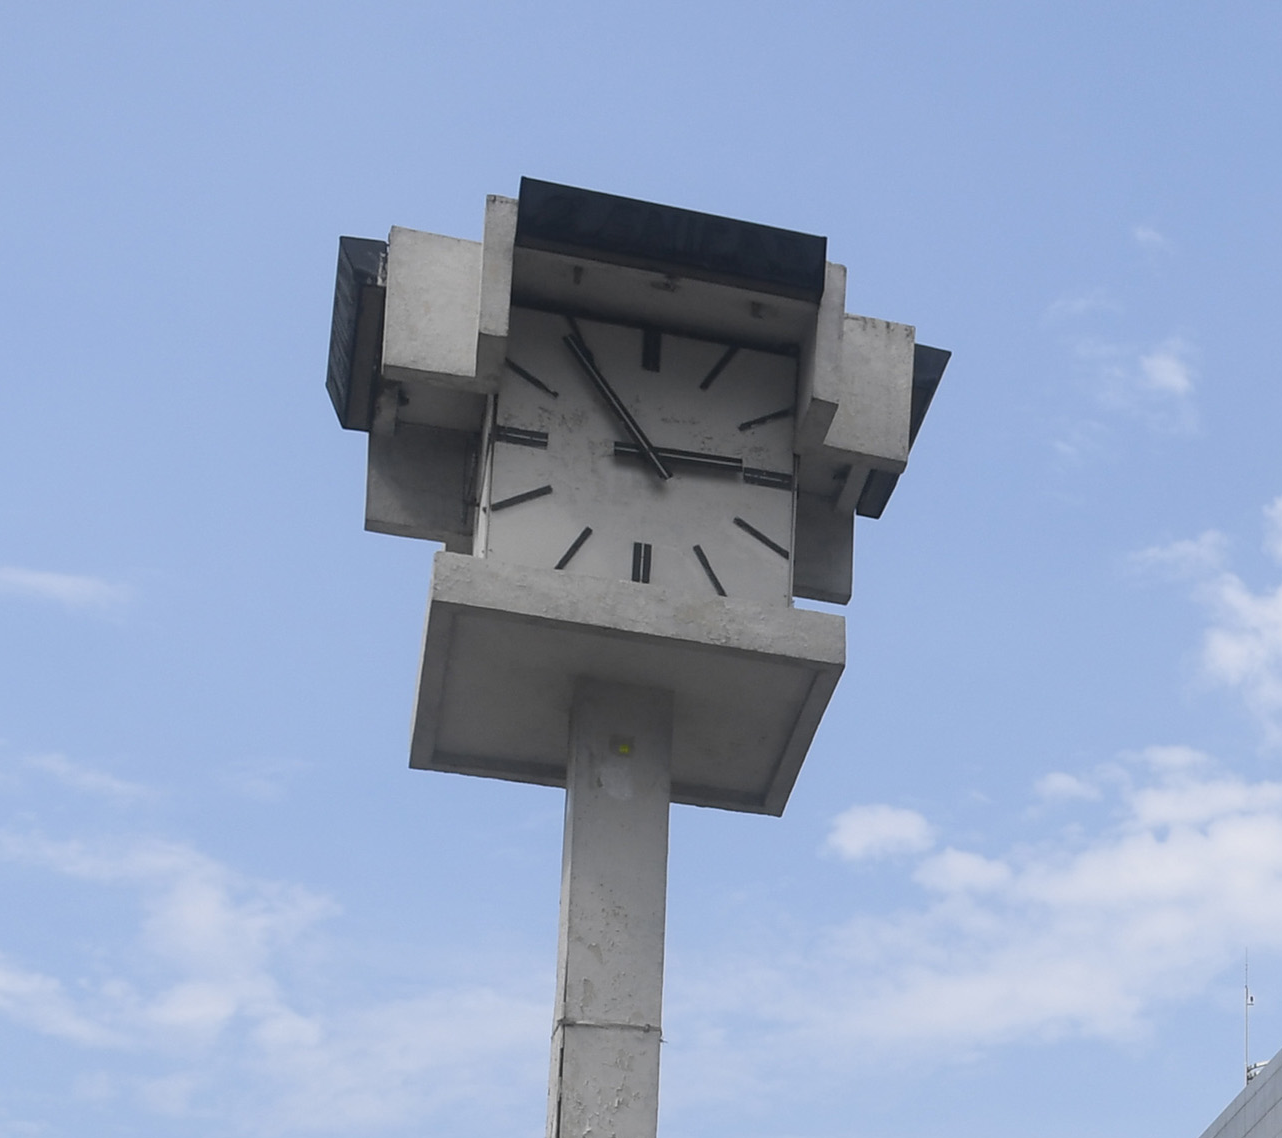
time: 2:54
